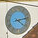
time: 4:12
